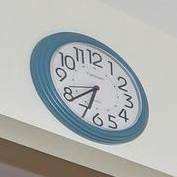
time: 6:38
